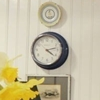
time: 4:12
